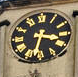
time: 3:32
